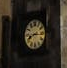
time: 8:16
